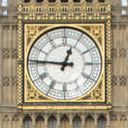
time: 12:46
